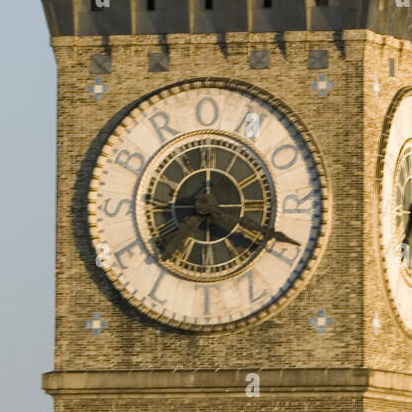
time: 4:18
